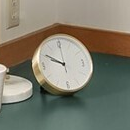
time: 9:50
